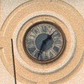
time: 1:34
